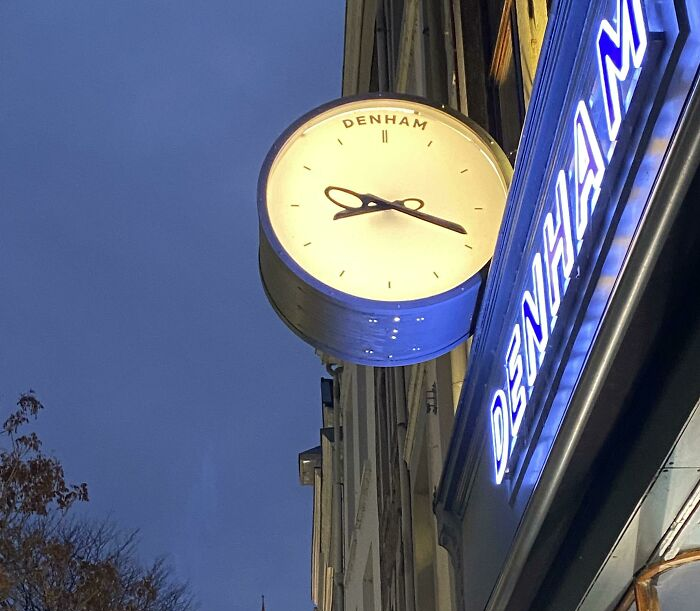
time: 8:18
